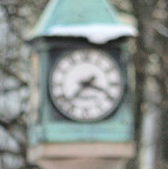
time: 7:18
